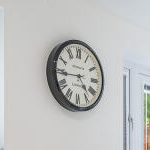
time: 4:44
